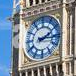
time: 2:15
